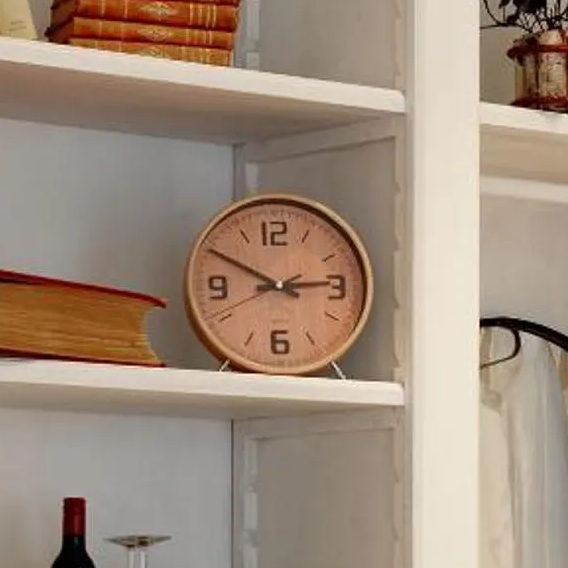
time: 2:49
